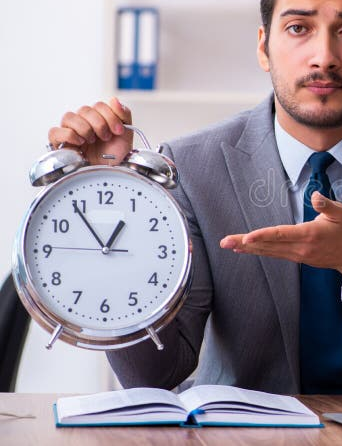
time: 12:54
